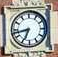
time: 6:43
